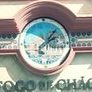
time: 2:06
